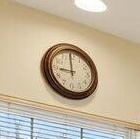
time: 8:59
